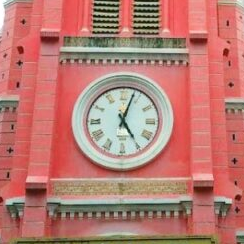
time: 5:03
